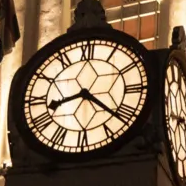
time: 8:21
